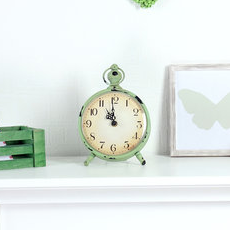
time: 10:59
